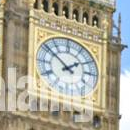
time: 1:51
